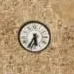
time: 5:34
